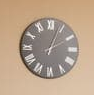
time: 2:03
